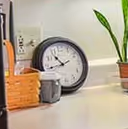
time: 10:42
